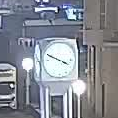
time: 3:49
